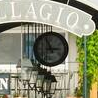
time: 2:56
